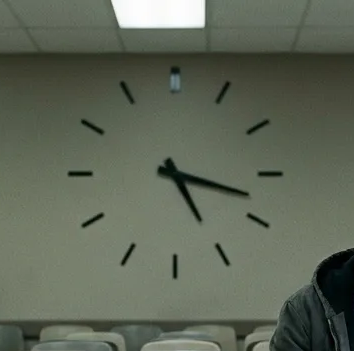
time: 5:17
